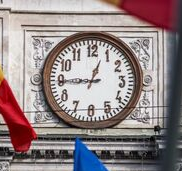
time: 12:44
